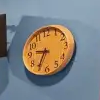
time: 9:34
